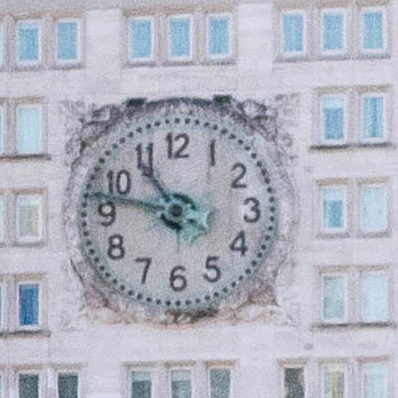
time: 10:47
